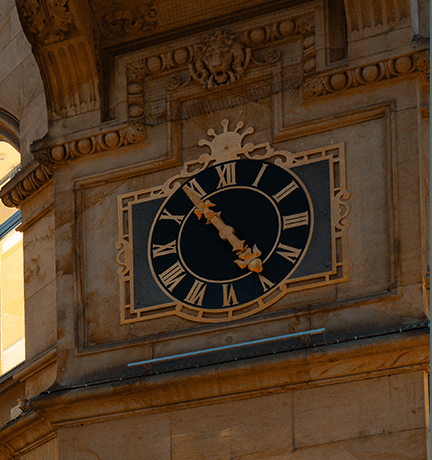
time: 4:54
